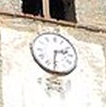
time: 2:31
